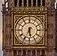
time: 5:33
